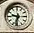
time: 9:33
